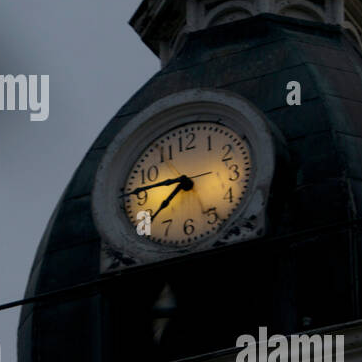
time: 7:46
